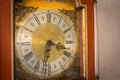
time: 3:32
